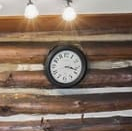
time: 3:17
